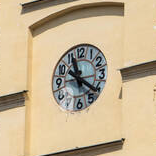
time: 11:21
